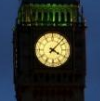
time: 4:07
